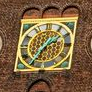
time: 1:35
